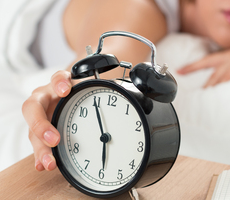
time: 5:55
